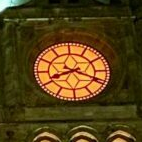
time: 8:18
